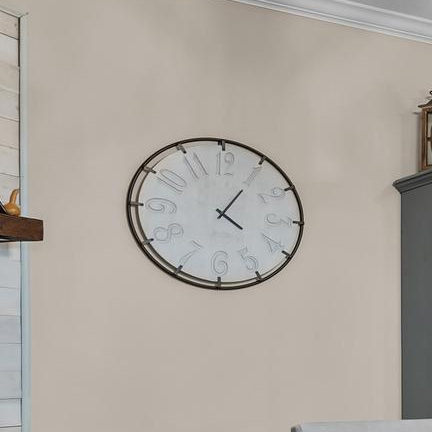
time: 4:05
